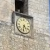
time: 4:31
